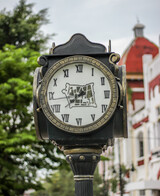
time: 7:42
